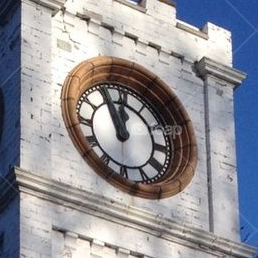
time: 11:55
